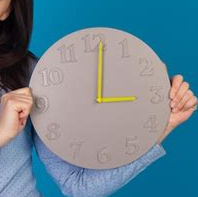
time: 3:00
